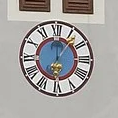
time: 12:06
